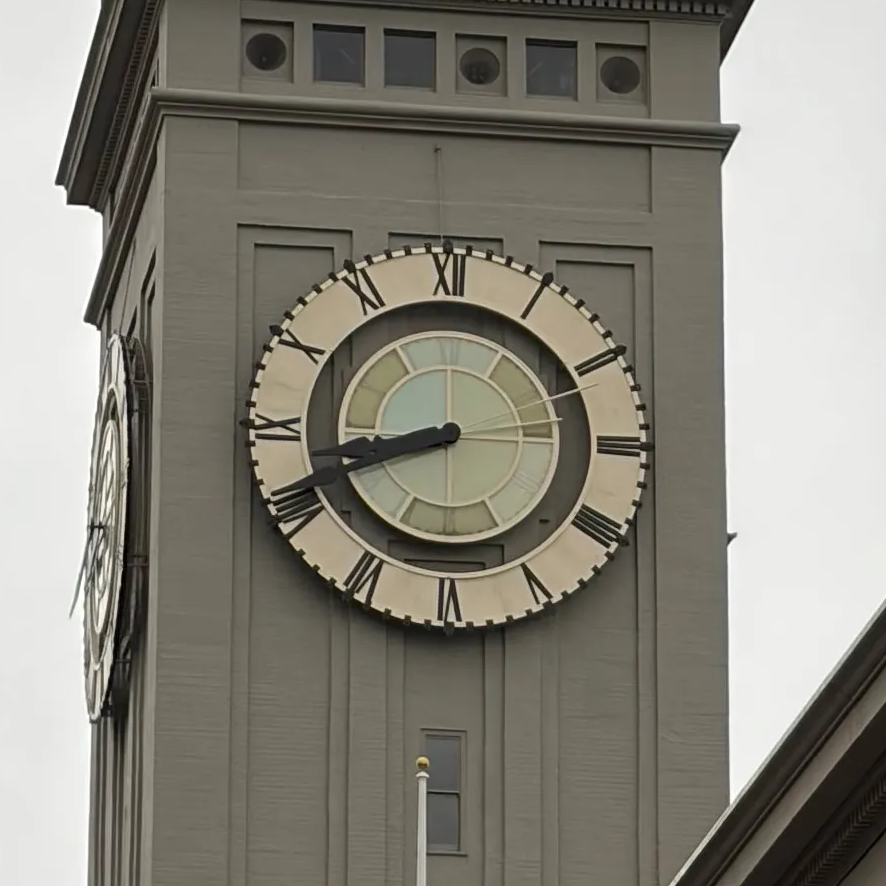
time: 8:41
